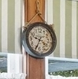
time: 9:34
